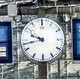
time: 9:43
